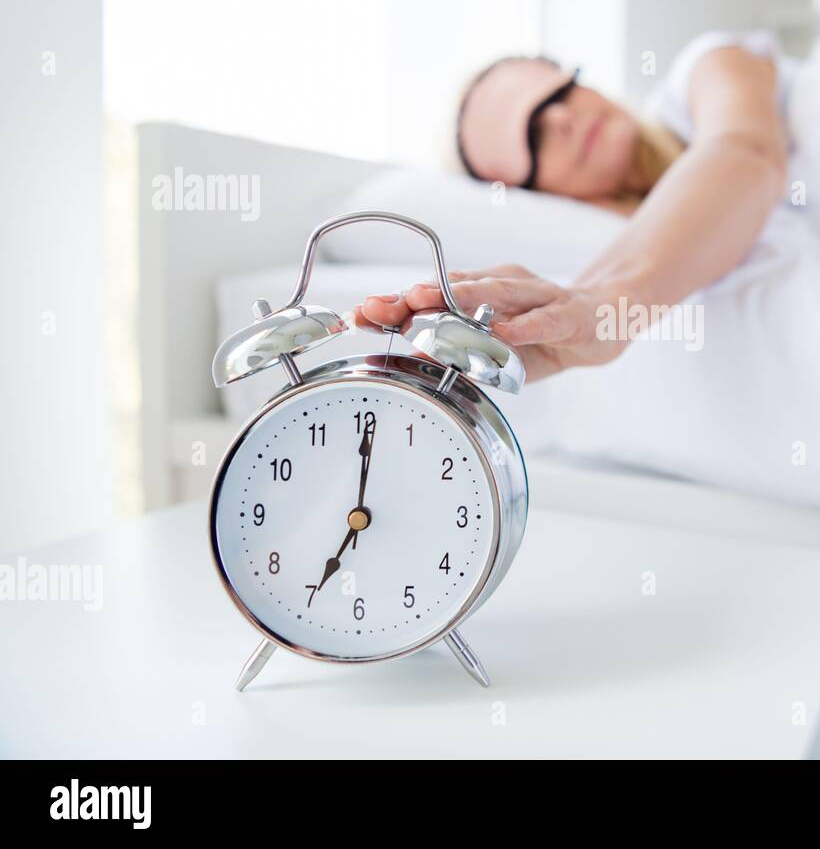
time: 7:00
